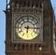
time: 6:15
